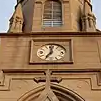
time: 7:00
